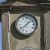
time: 1:38
